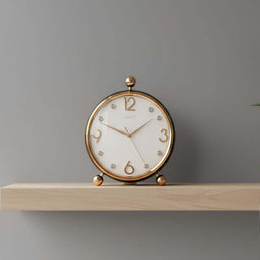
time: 1:49
